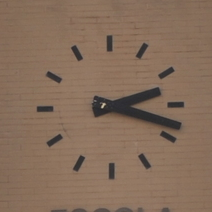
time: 2:18
